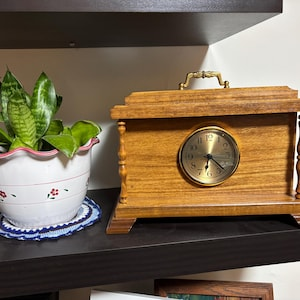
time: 12:23
